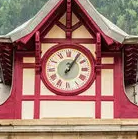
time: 1:05
